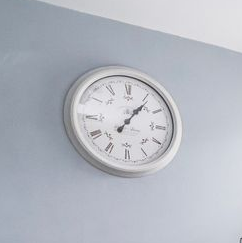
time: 1:06
